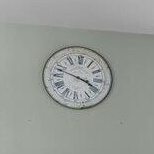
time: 3:47
